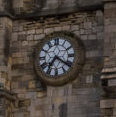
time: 7:21
